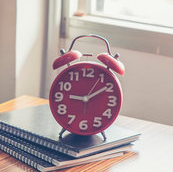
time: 9:09
